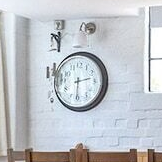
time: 2:31
